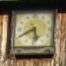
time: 5:40
